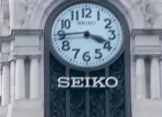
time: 3:44
